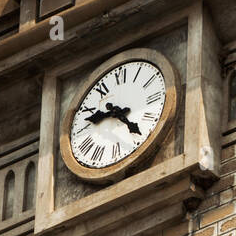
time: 9:23
